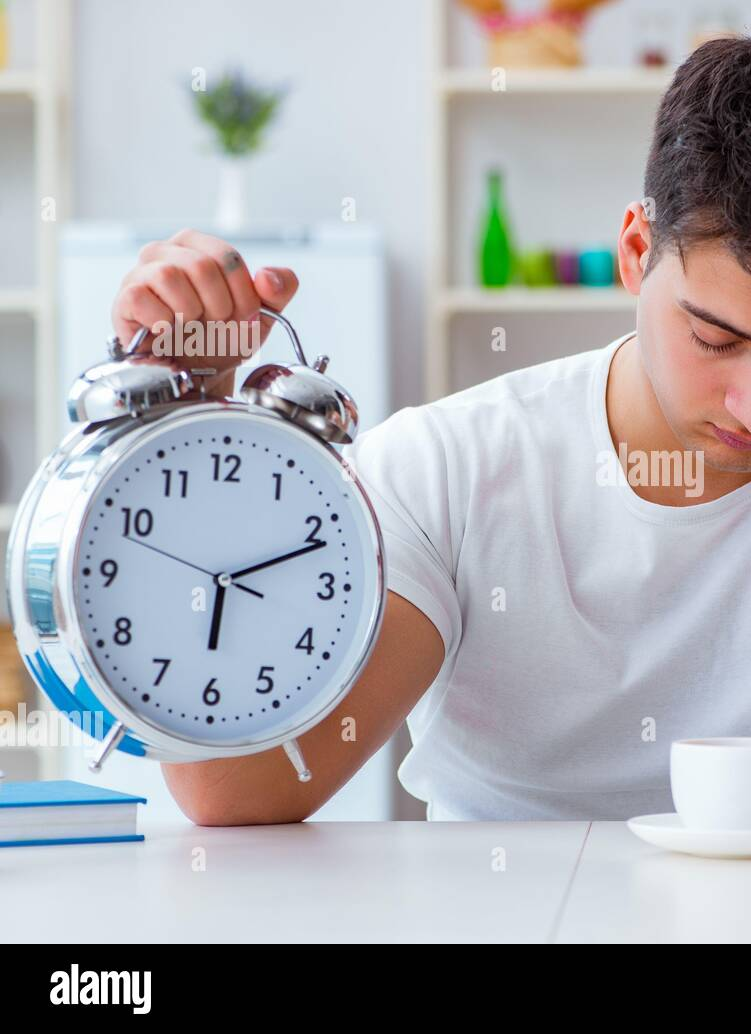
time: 6:11
